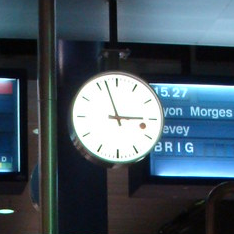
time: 2:56
